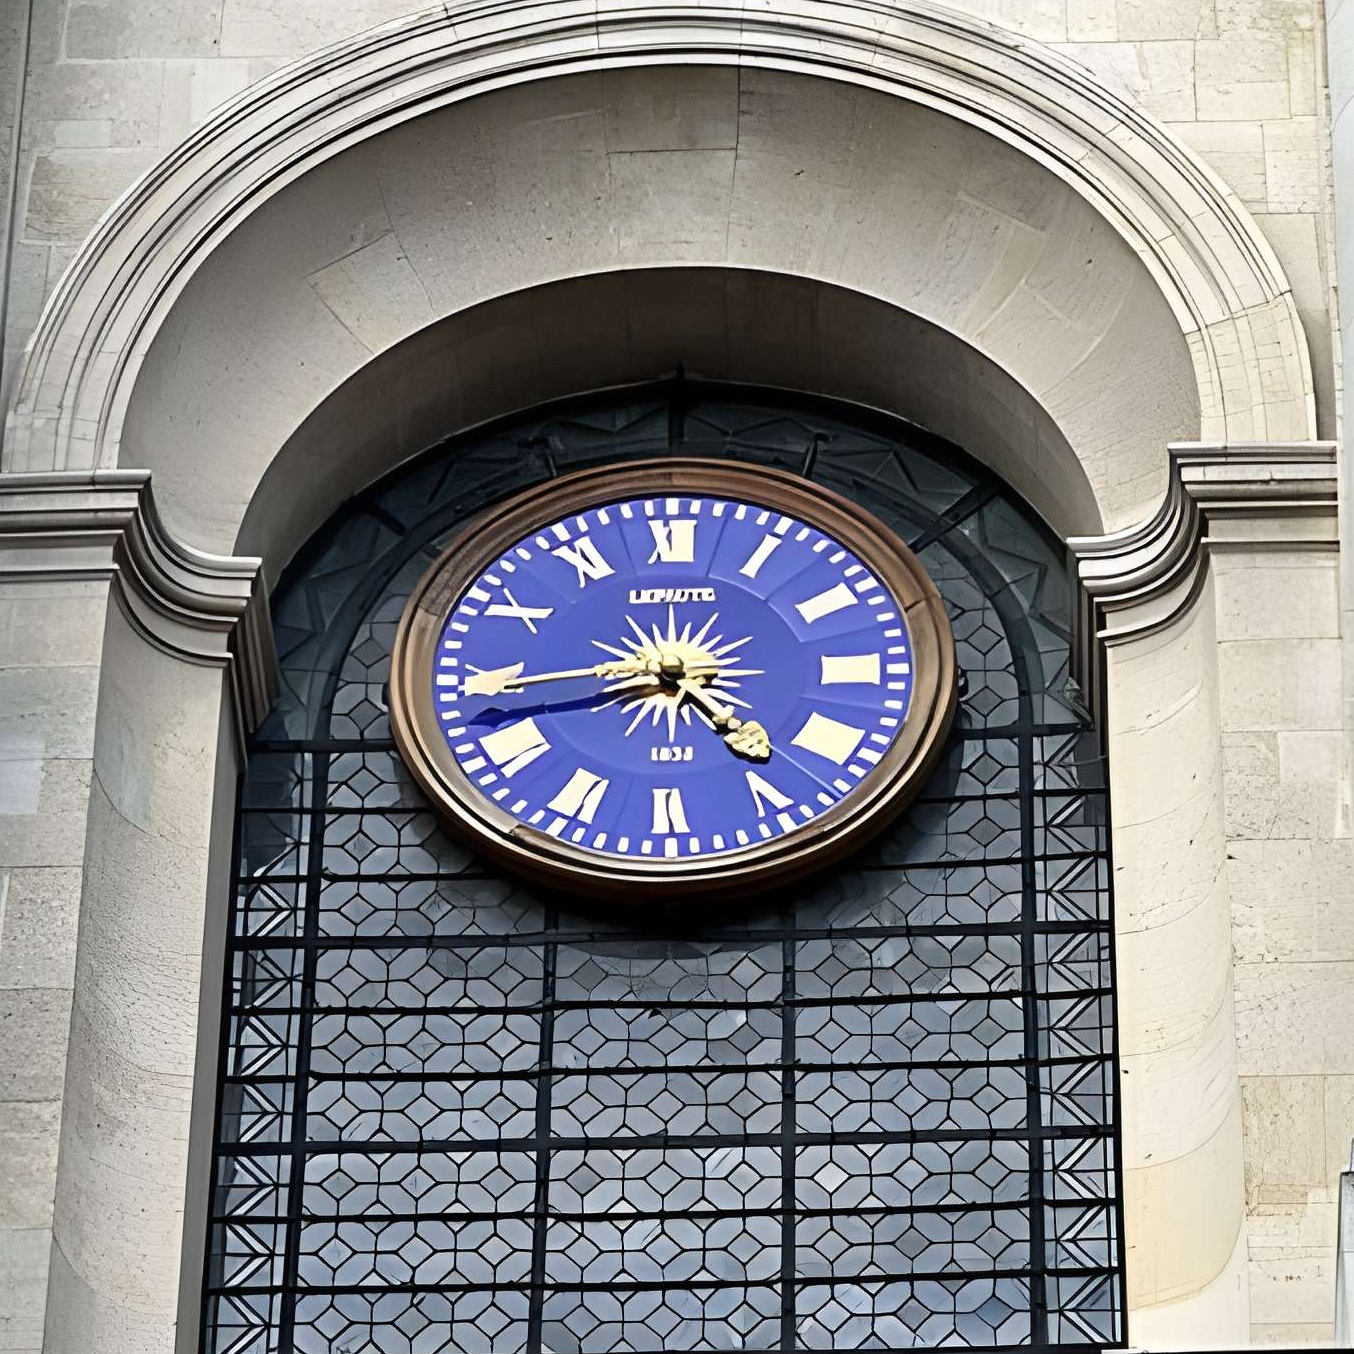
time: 4:44
